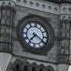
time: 7:20
